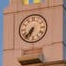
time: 6:36
